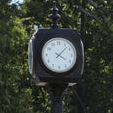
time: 4:07
